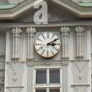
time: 3:09
